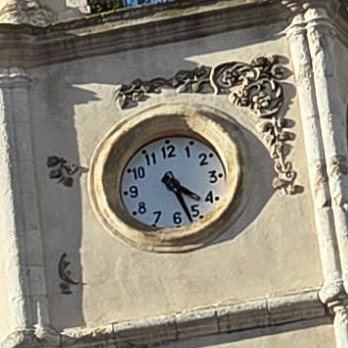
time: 4:27
